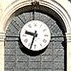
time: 9:33
